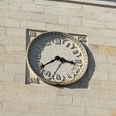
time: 3:39
